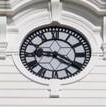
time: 9:20
